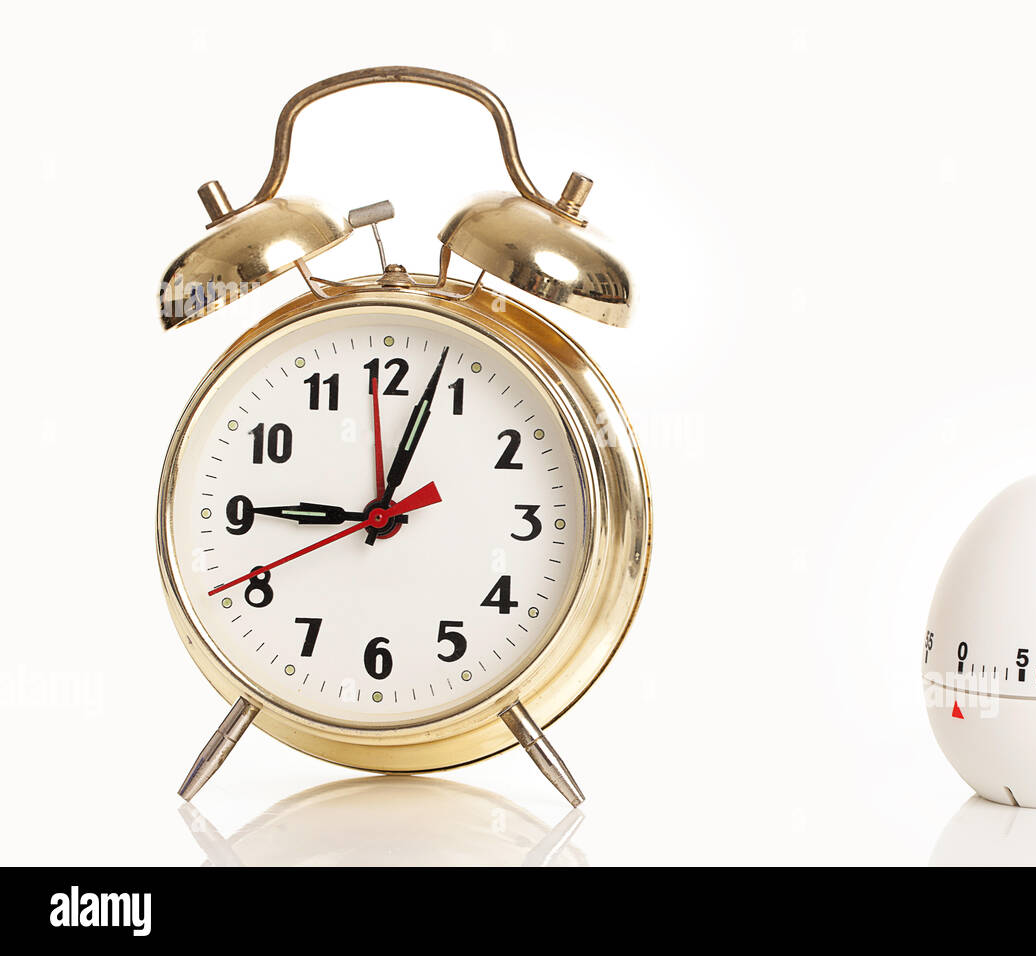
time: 9:03
